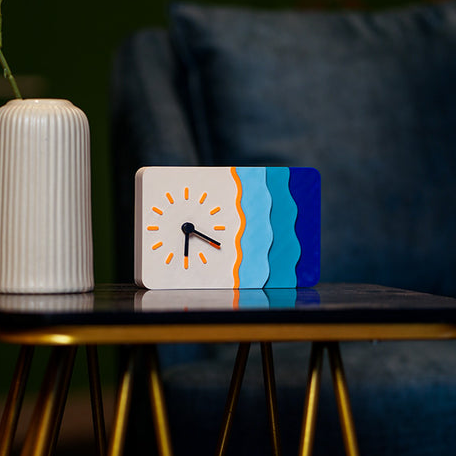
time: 6:19
